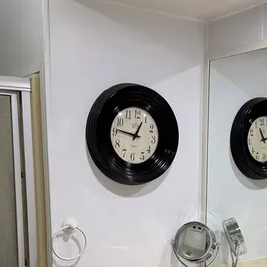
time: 12:46
